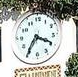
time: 3:35
